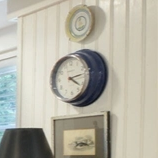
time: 4:13
